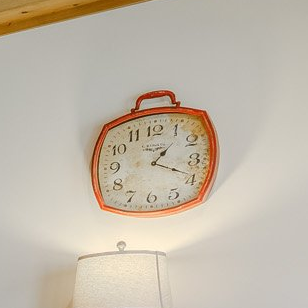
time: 1:18
